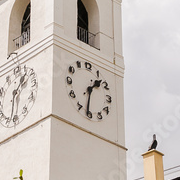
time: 1:31
